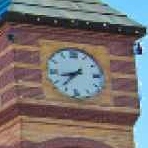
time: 8:37
